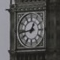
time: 12:43
